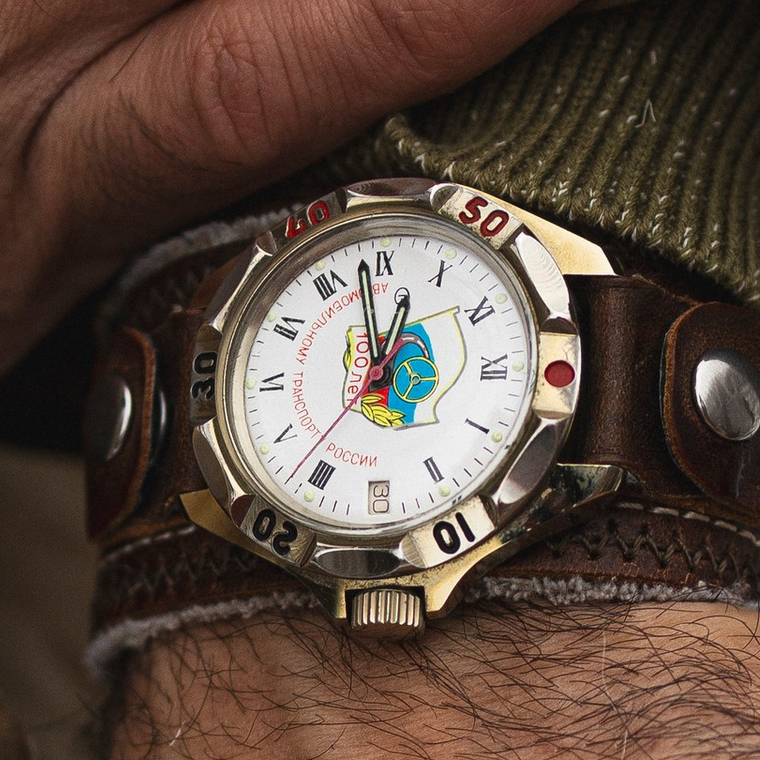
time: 12:58
